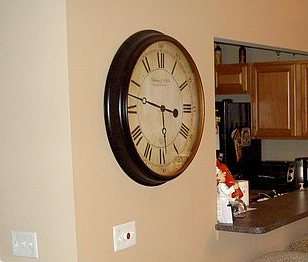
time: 5:47
